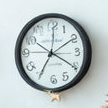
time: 7:09
